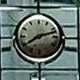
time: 8:12
